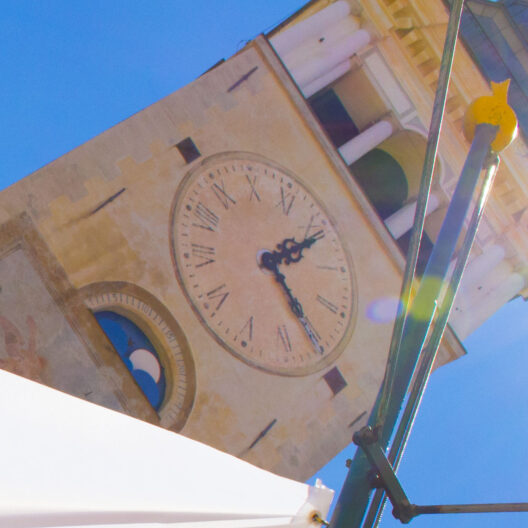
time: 2:25
